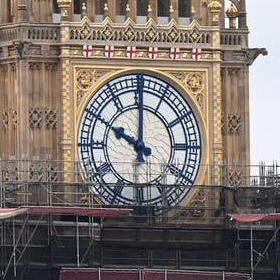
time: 10:00
